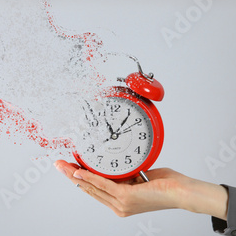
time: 11:06
